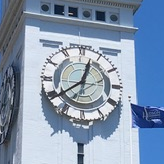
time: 12:39
